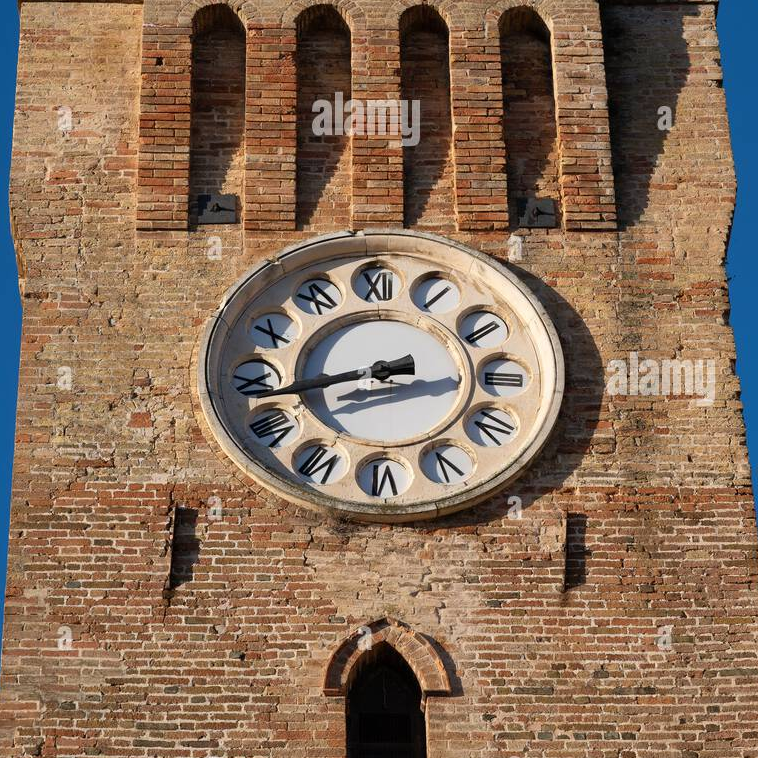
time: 8:43
